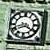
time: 8:20
